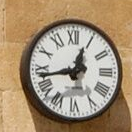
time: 12:43
